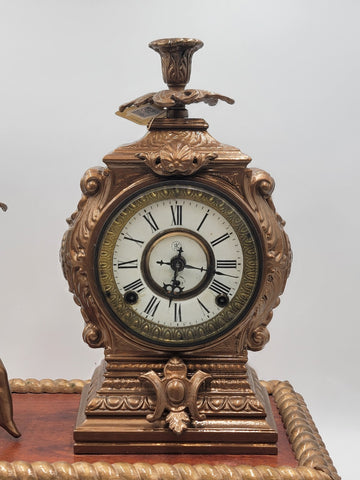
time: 6:15
